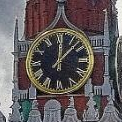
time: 12:07
